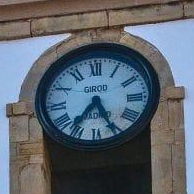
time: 7:25
